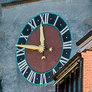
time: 11:46
